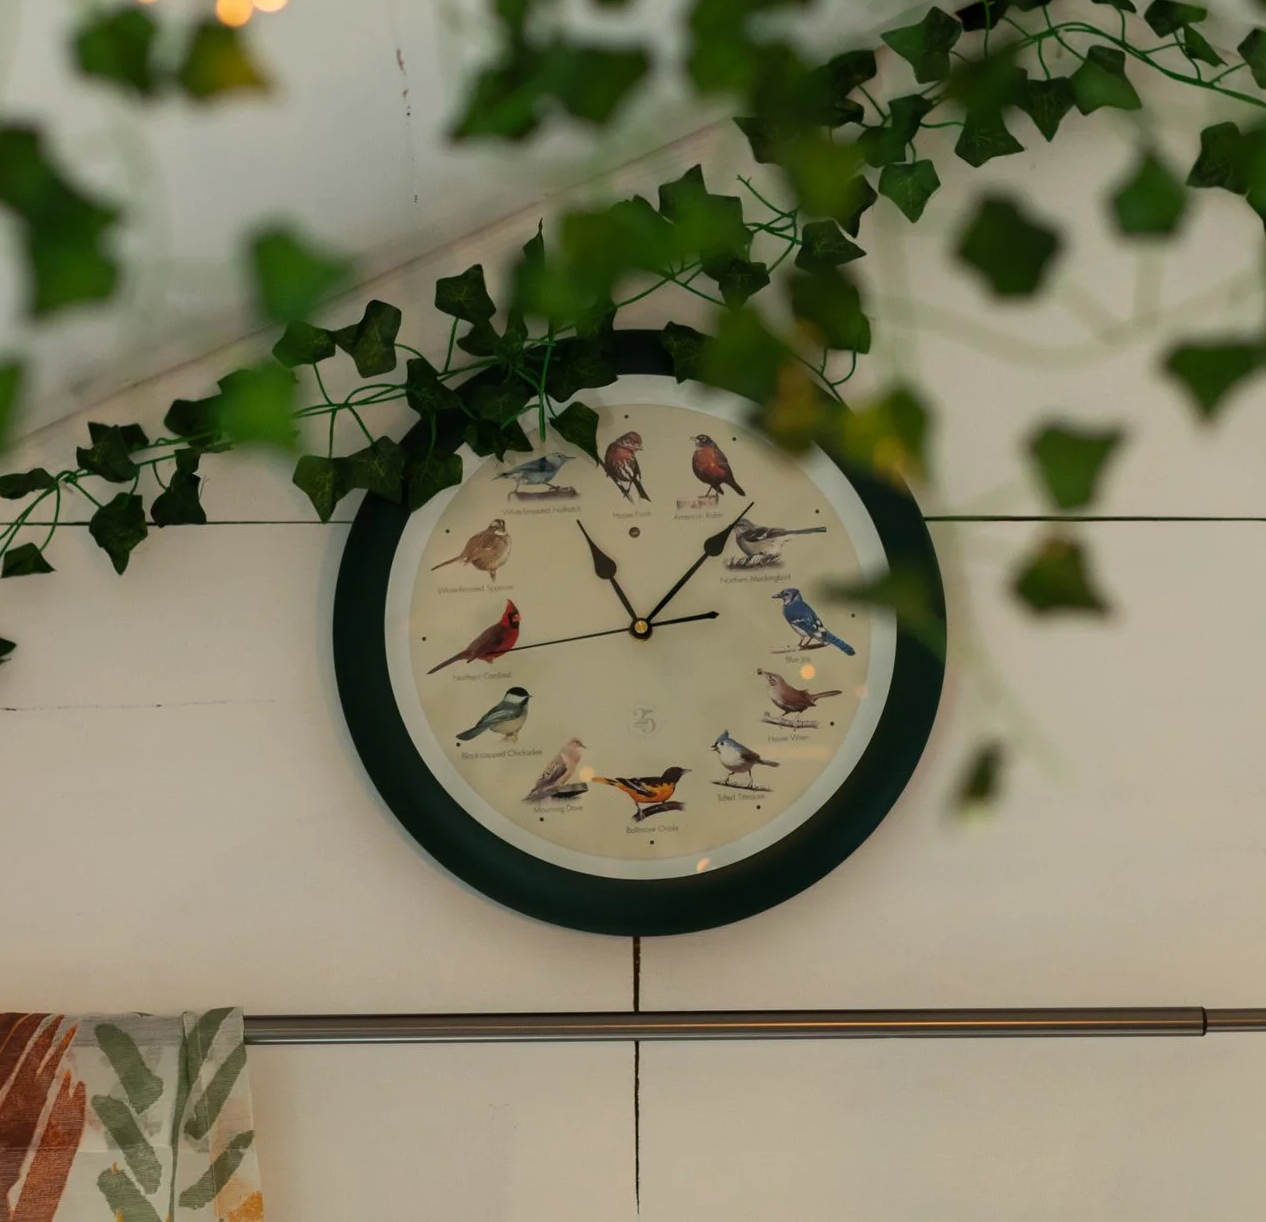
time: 11:07
